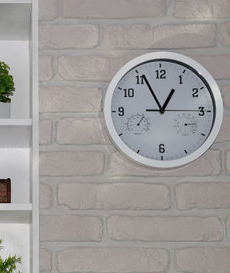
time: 12:55
